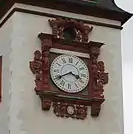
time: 3:40
